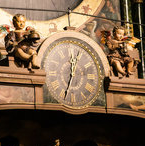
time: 12:33
